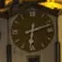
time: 6:11
